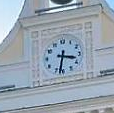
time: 3:32
